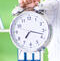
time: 7:17
